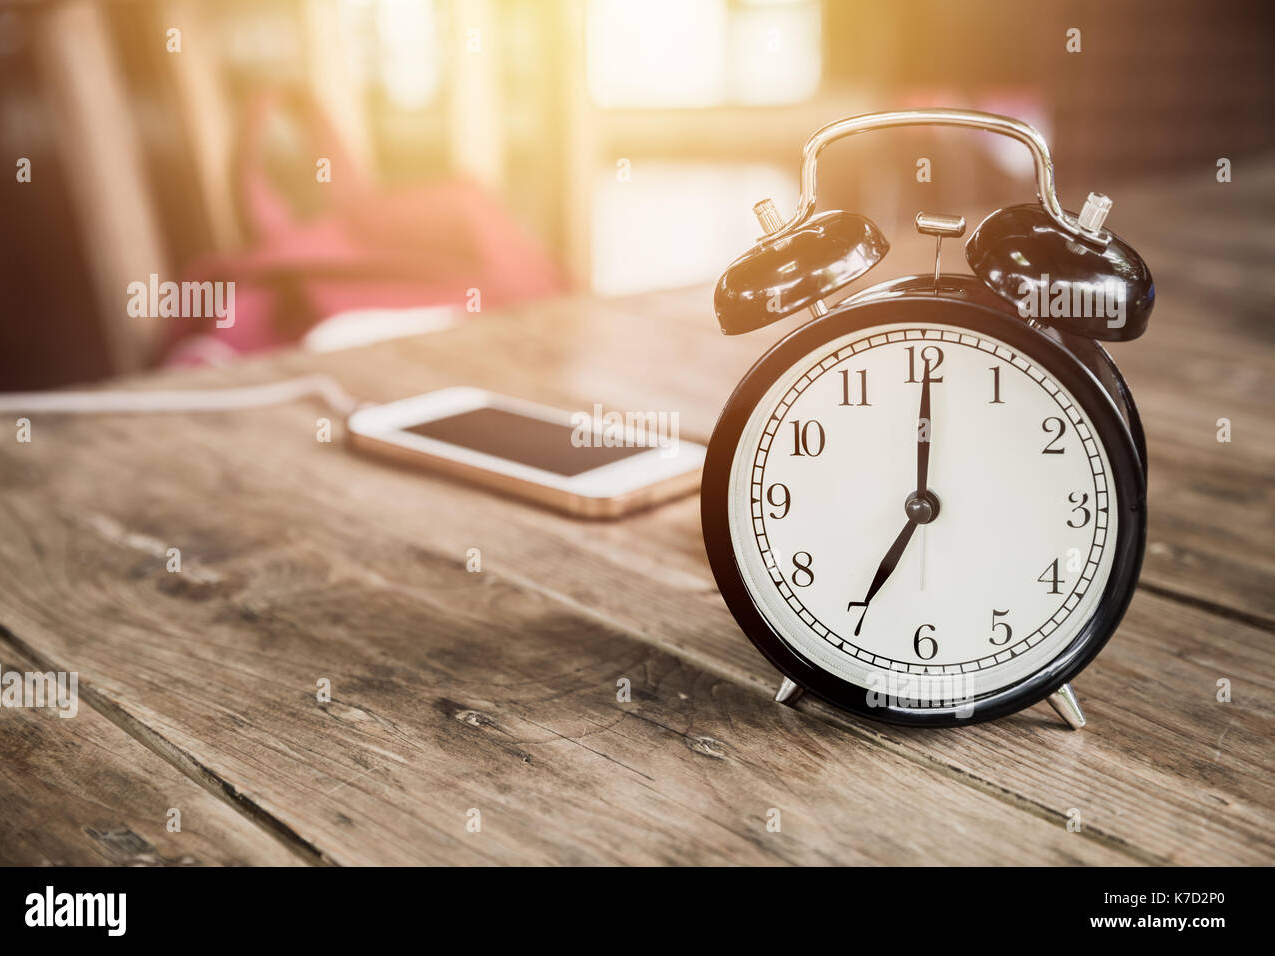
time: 7:00
